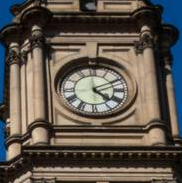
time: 4:10
